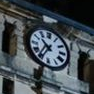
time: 10:35
